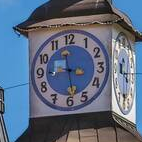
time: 3:28
